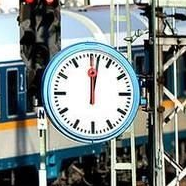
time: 12:02
